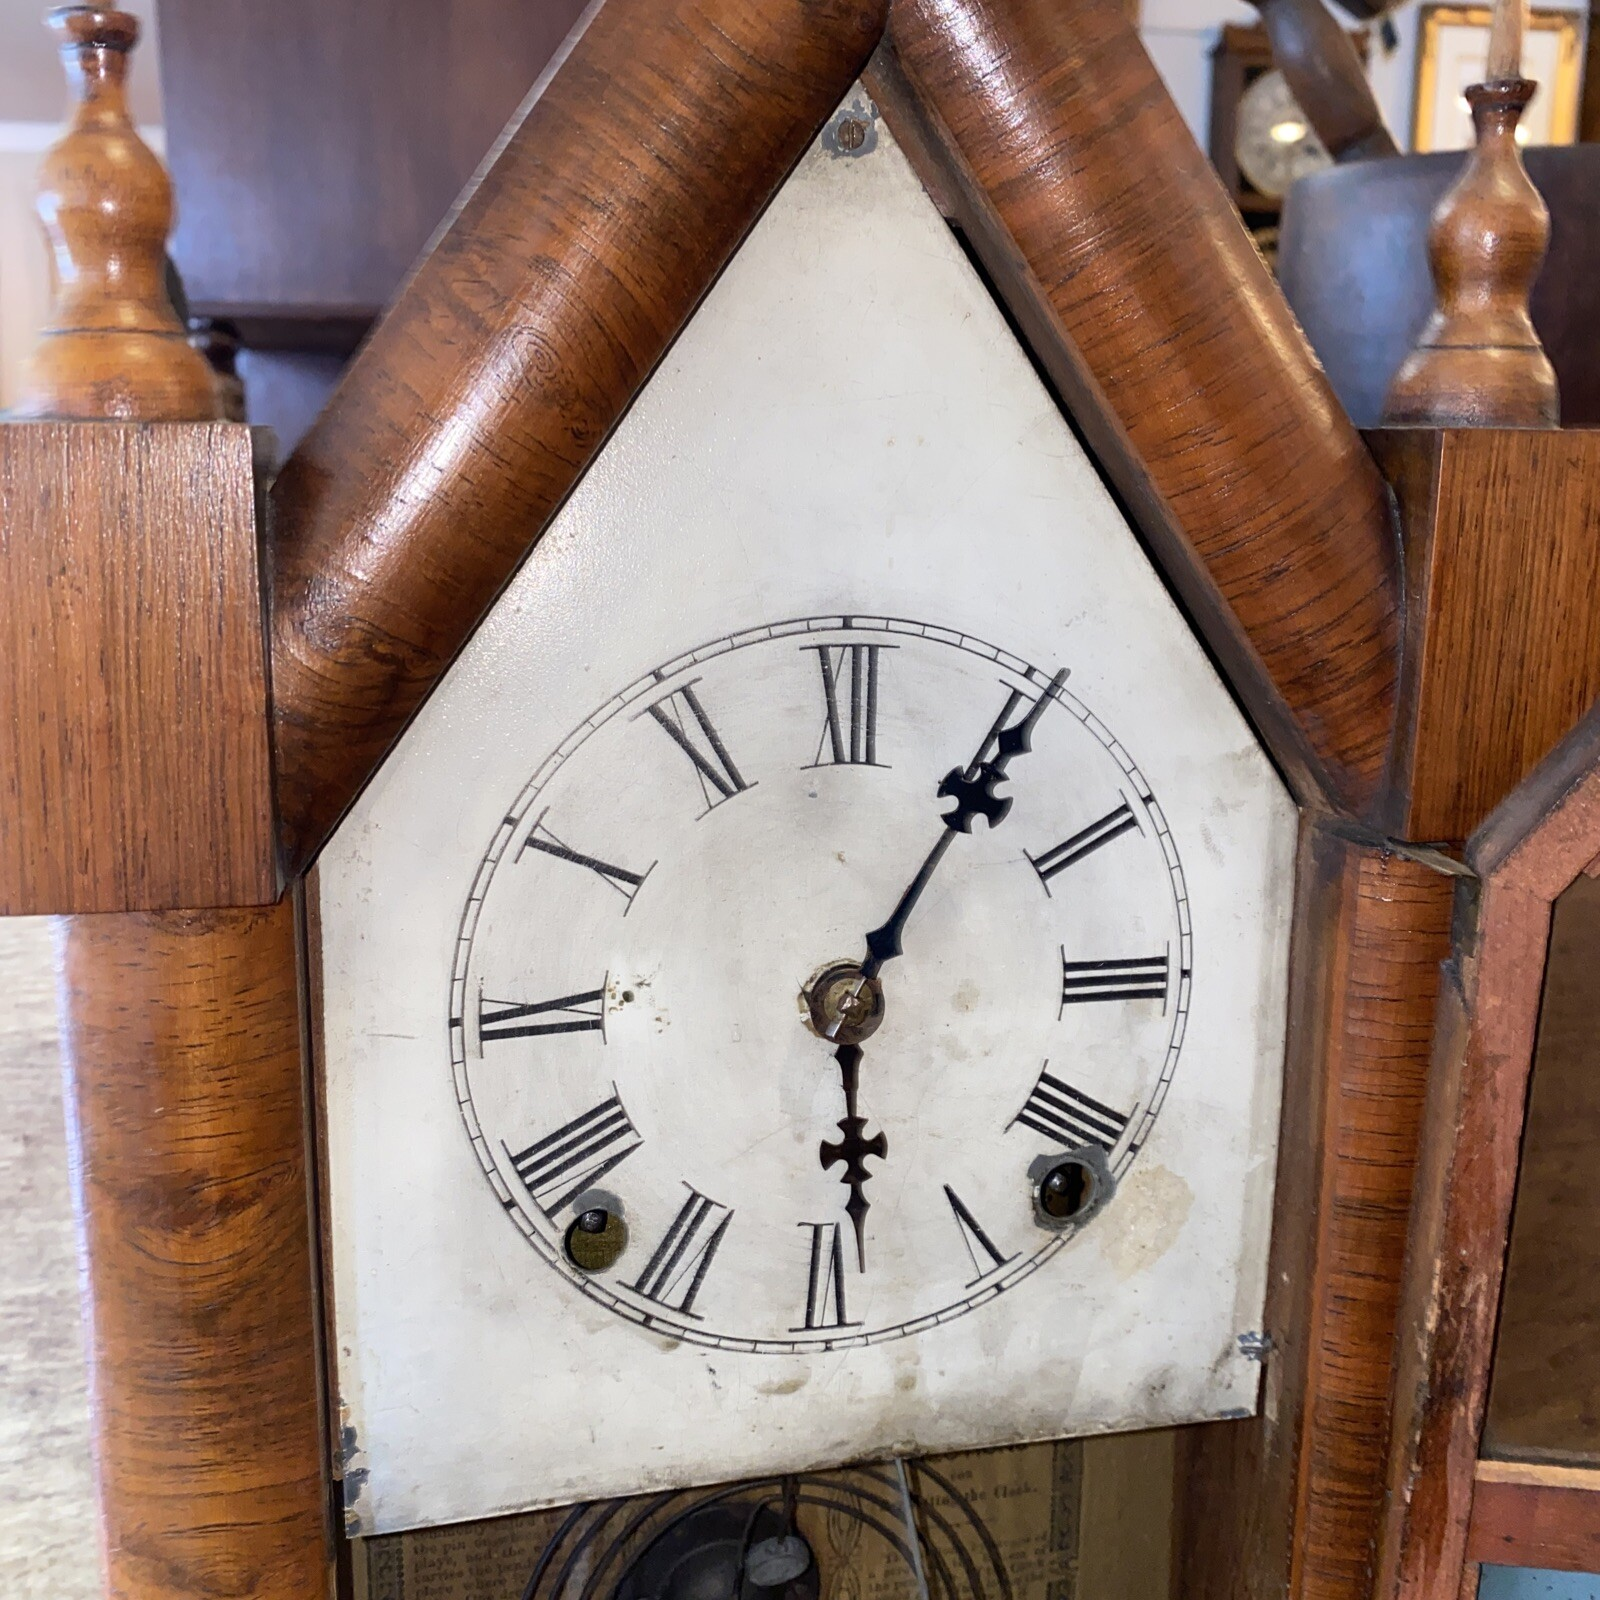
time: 6:05
